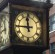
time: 11:44
